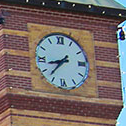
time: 8:37
